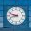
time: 8:48
